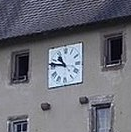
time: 10:47
